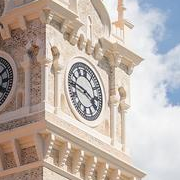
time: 3:46
